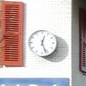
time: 12:26
